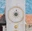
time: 9:01
